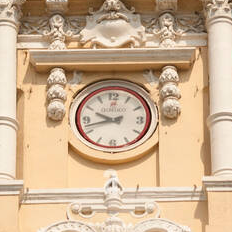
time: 9:42
